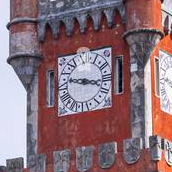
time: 9:17
